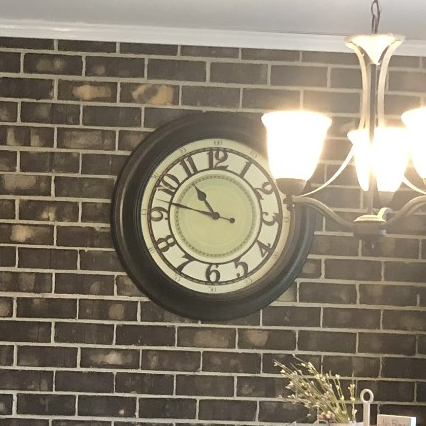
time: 10:47
